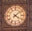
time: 4:08
